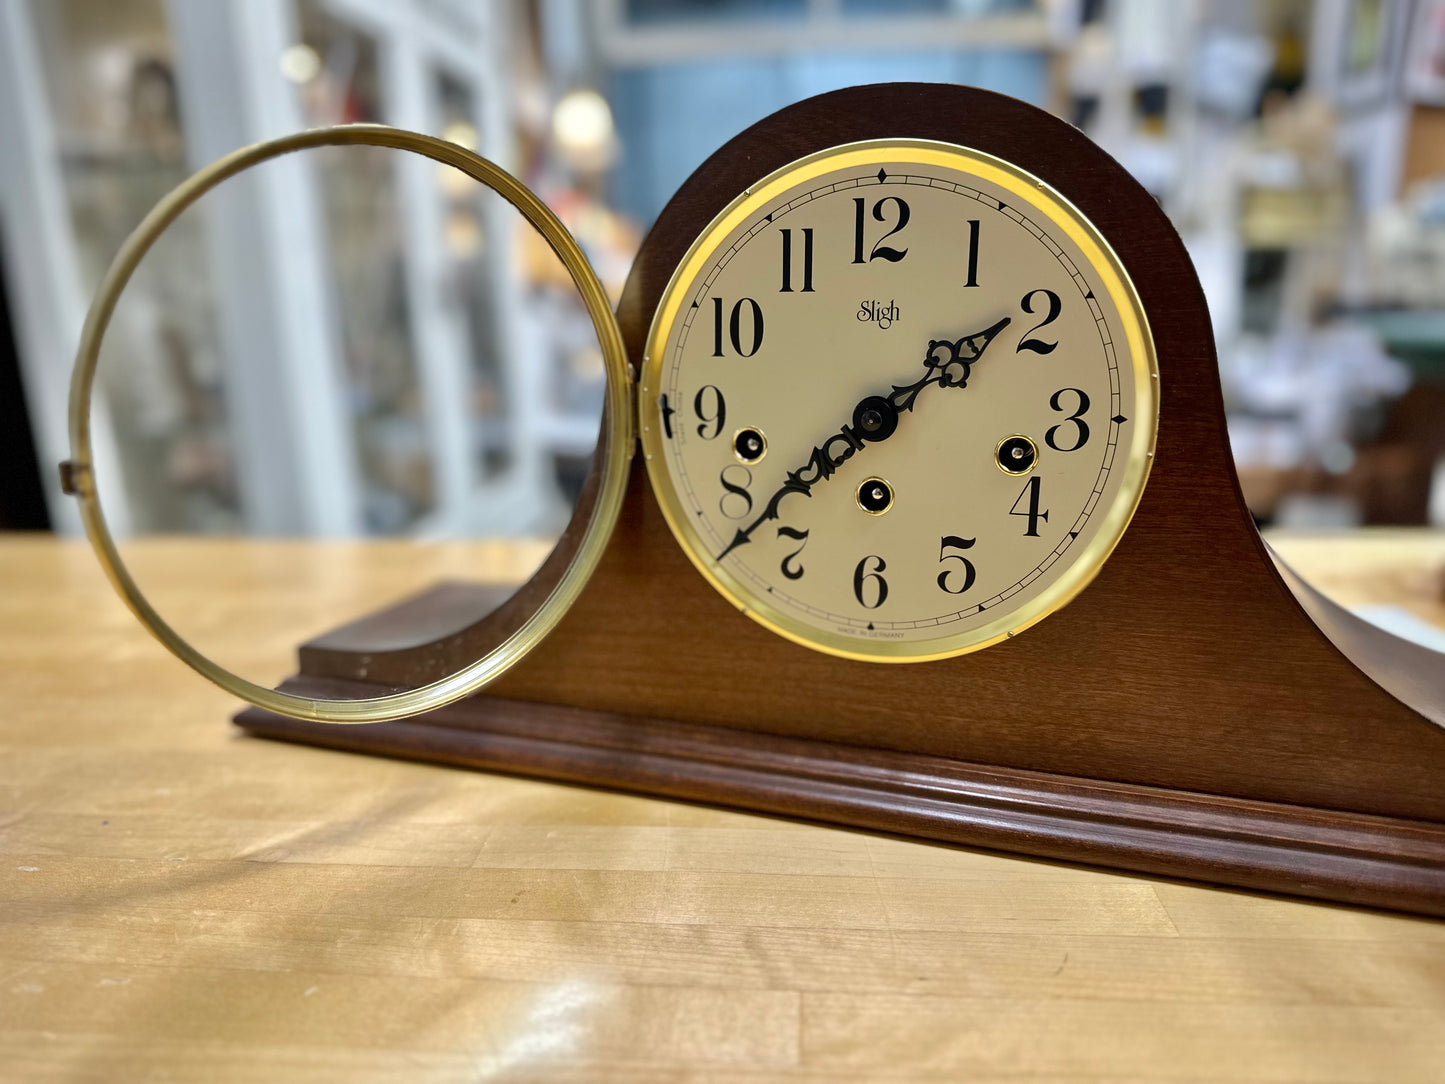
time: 1:37
